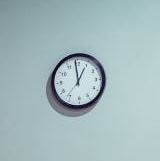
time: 12:58
